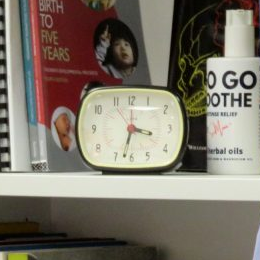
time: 3:32
